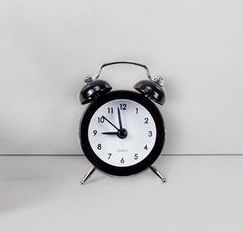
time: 8:58
